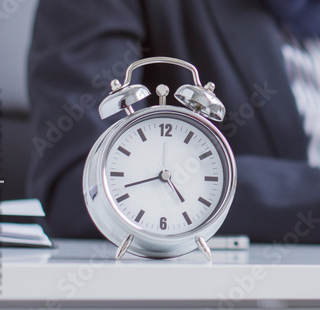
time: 4:42
